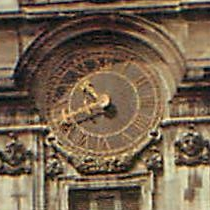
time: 10:41
